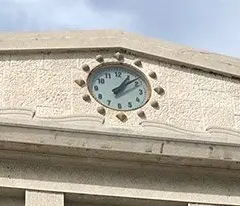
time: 1:08
